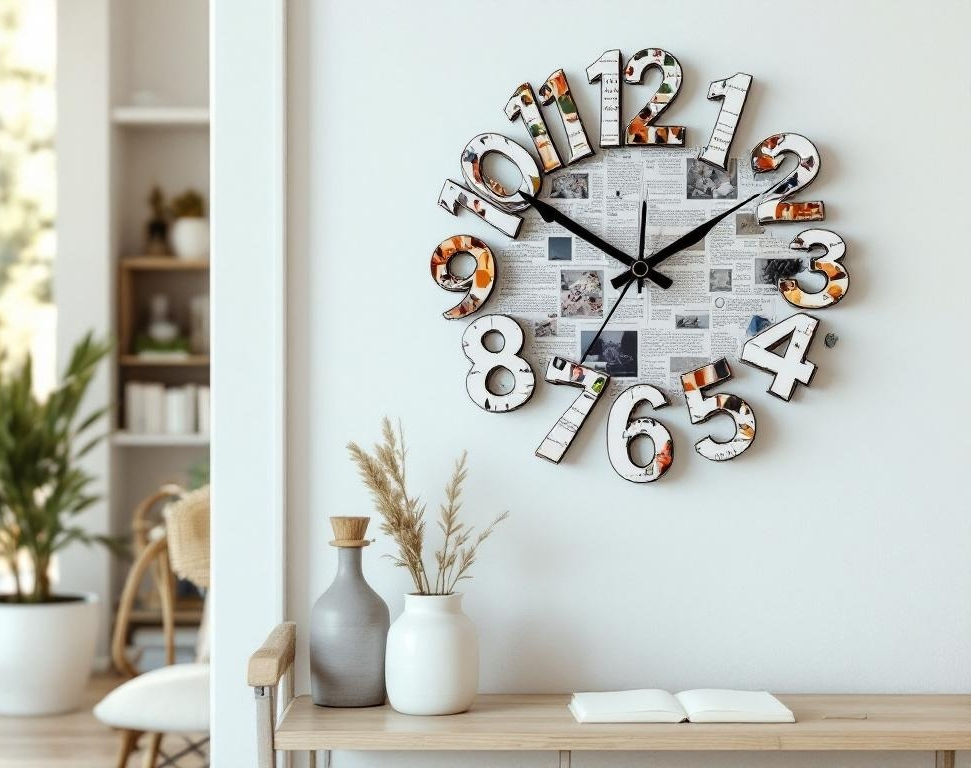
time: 1:50
